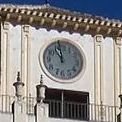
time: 10:58
